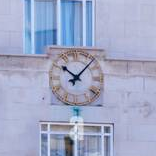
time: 10:07
